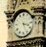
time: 3:26
